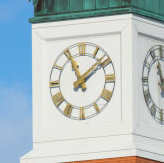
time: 11:08
